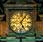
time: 5:06
